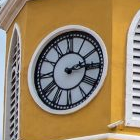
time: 2:14
